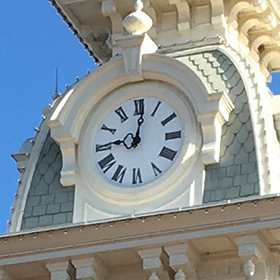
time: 9:01
